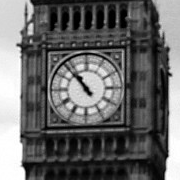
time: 10:53
